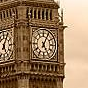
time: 5:04
